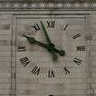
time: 9:57
